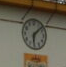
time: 6:08
